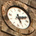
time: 5:11
